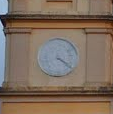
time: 4:21
